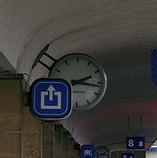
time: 2:16
